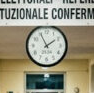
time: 1:55
